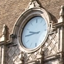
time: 9:44
